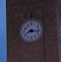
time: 8:16
